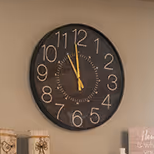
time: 10:58
